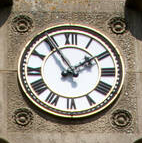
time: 1:54
